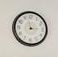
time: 2:57
